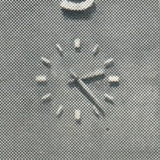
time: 2:23
